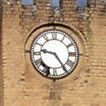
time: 9:24
